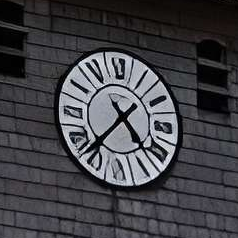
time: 4:37
